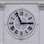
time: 2:55
